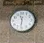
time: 11:31
